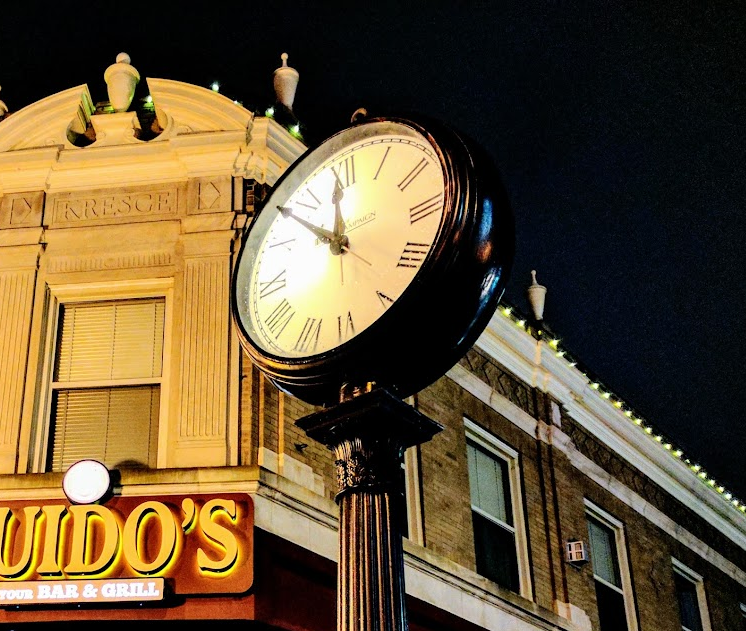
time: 11:51
